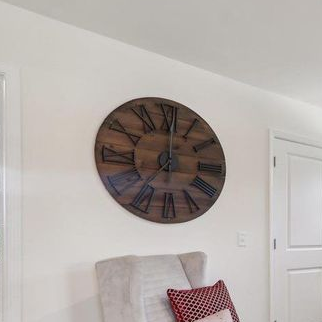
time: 7:00
